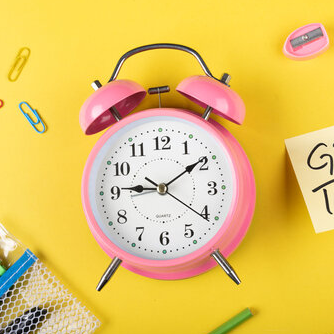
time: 9:09
